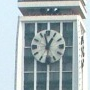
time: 12:57
